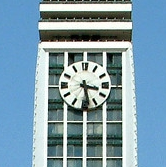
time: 3:28
